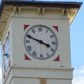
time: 3:48
